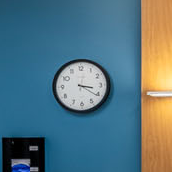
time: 3:20
